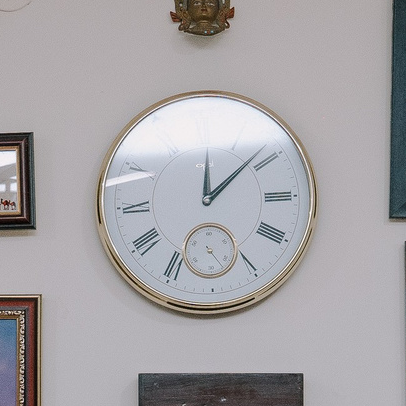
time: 12:08
